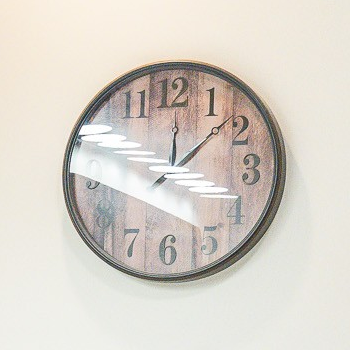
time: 12:07
